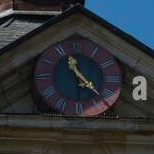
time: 11:22
